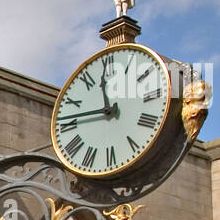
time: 11:46
